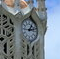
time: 1:12
